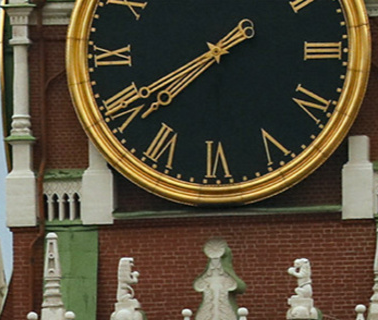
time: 7:40
